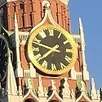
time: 7:46
